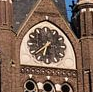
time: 6:38
